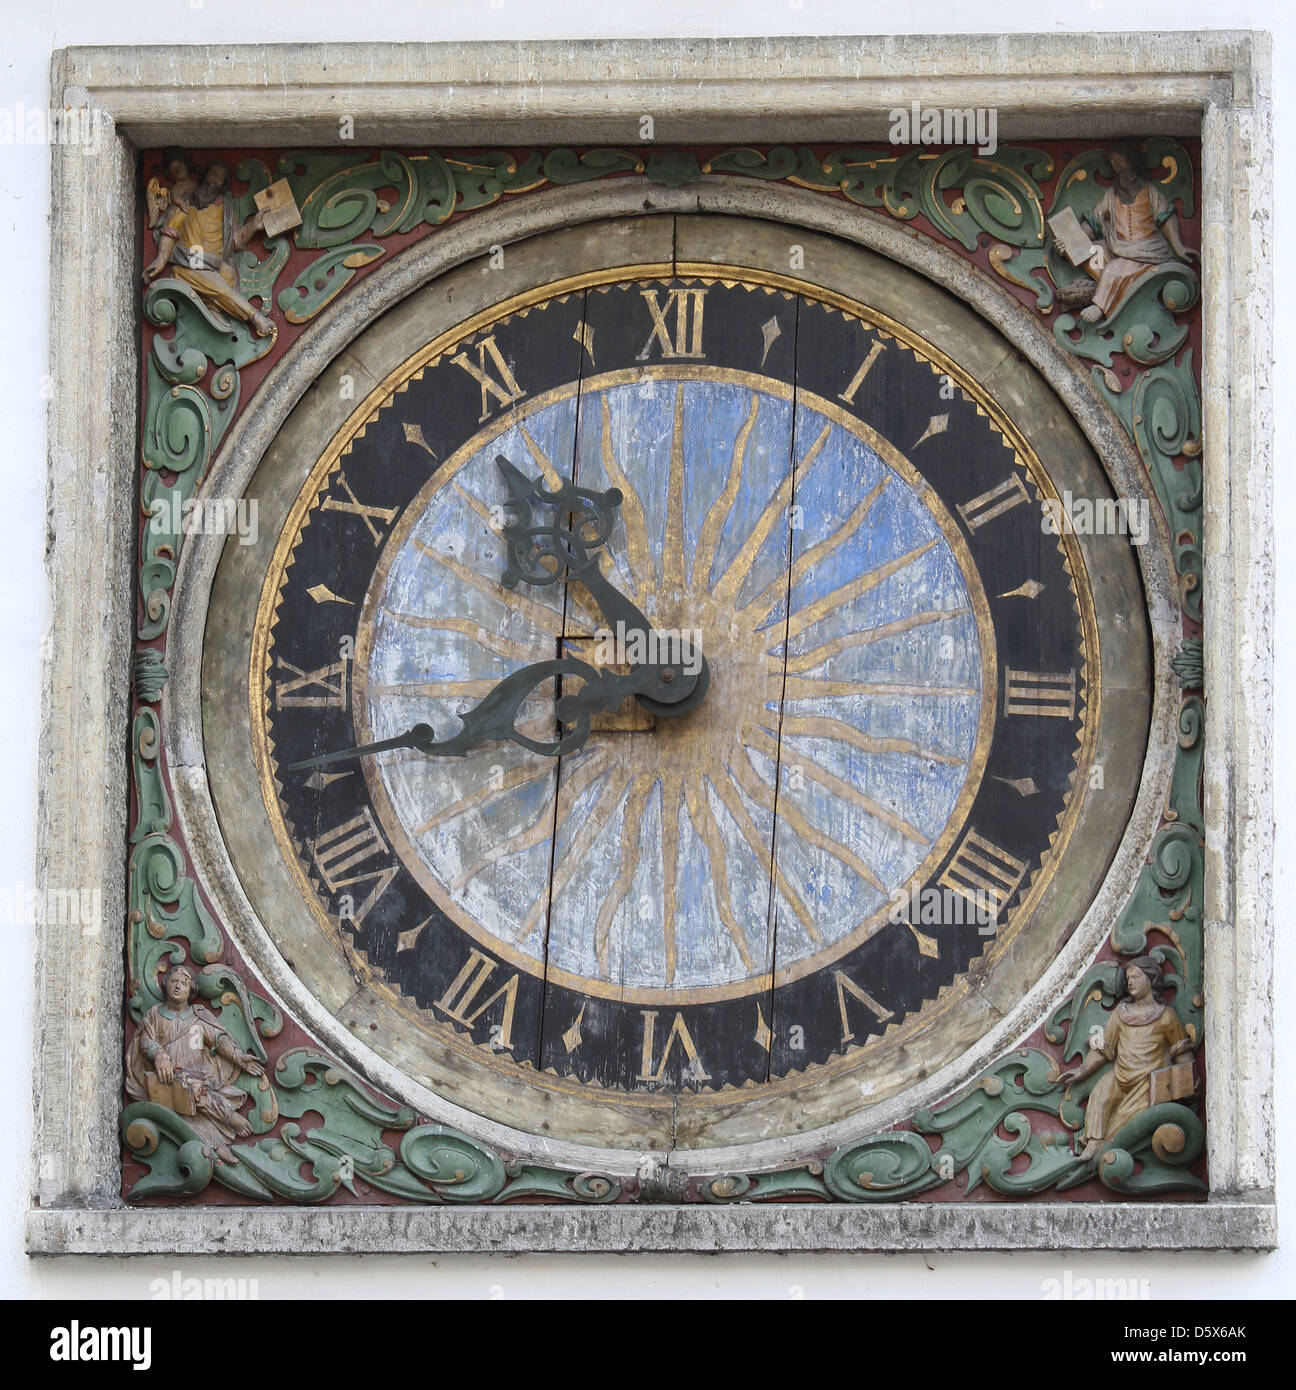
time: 10:42
